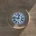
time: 12:47
